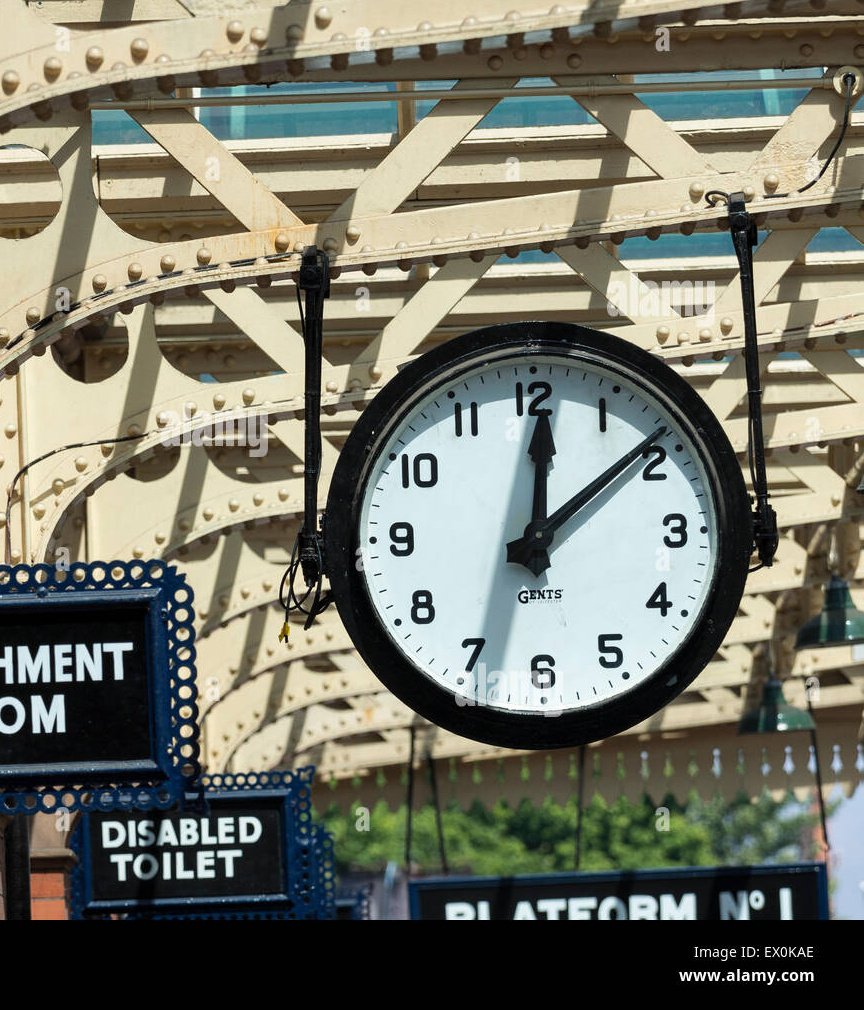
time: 12:08
